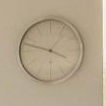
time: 3:47
